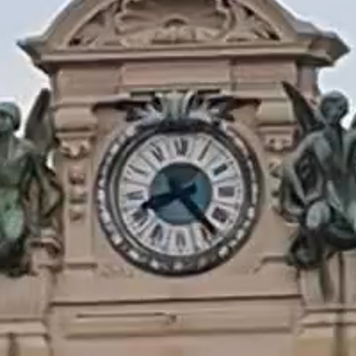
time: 8:23
